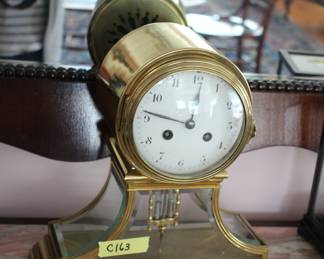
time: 11:46
